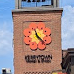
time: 11:22
